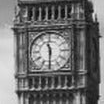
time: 11:30
